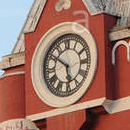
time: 5:51
